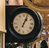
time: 1:03
